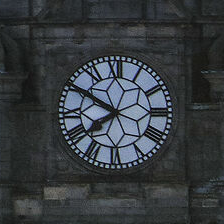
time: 7:50
